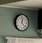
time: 12:22
